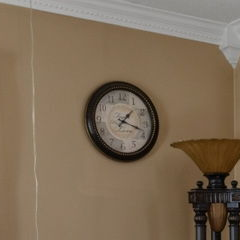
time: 1:18
